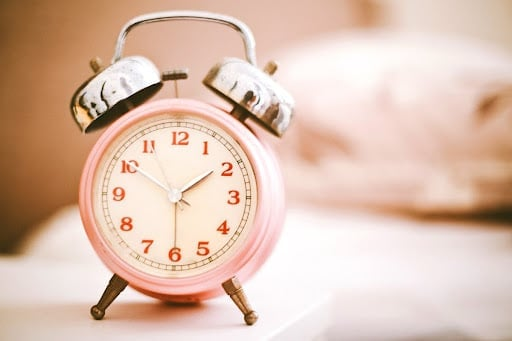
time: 1:50
